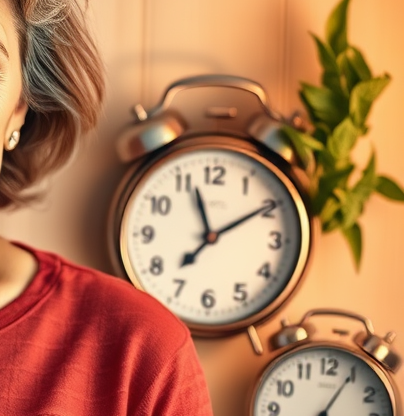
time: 11:09
